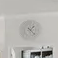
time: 1:22
